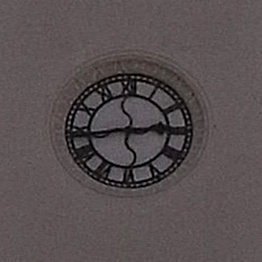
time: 2:43
